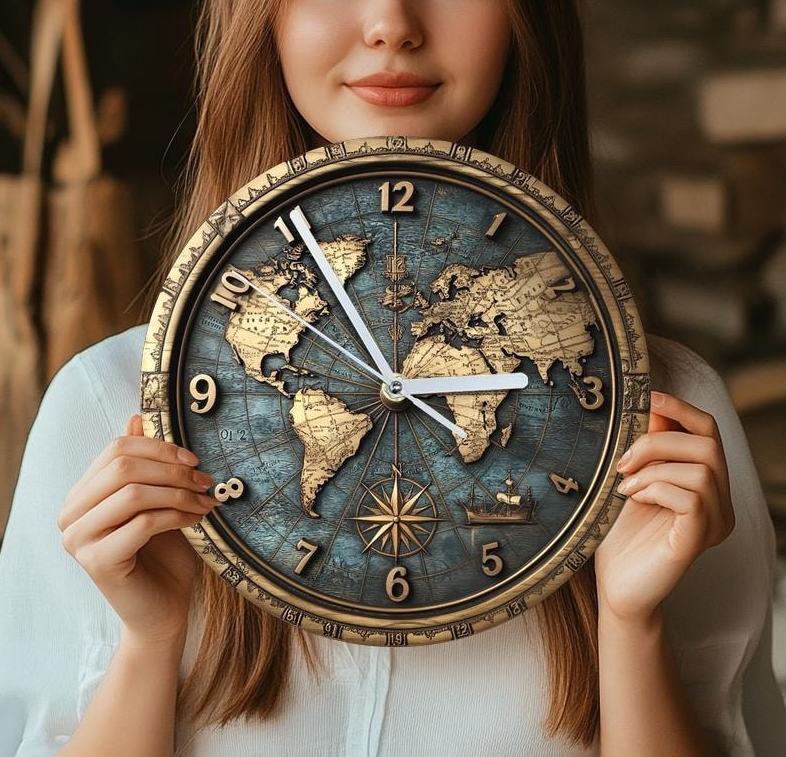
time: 2:54
